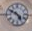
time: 4:49
